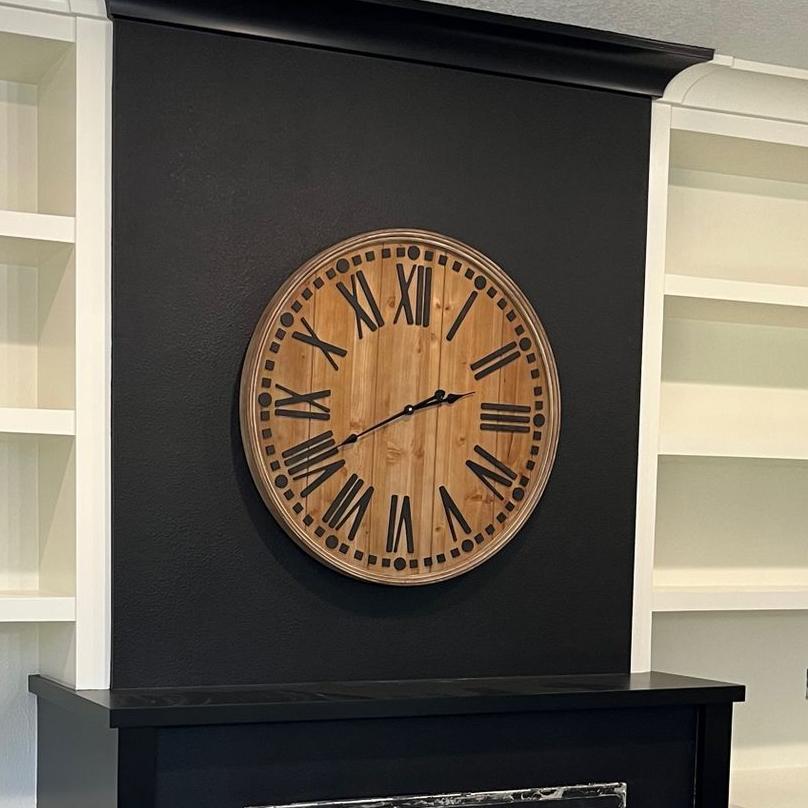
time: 2:40
